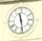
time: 11:28
